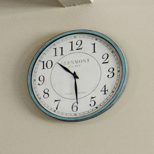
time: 10:29
